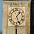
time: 1:26
